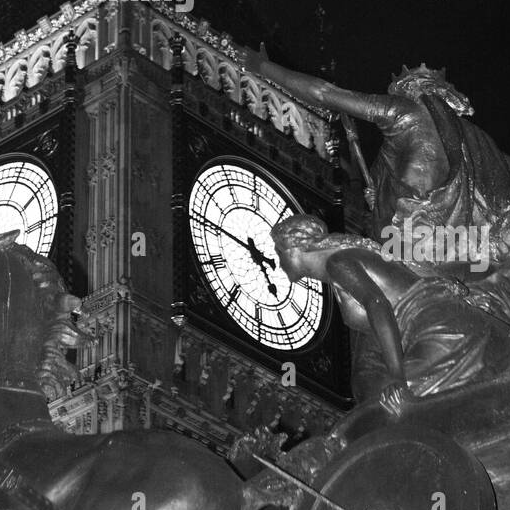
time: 4:46
